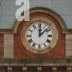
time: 12:08
